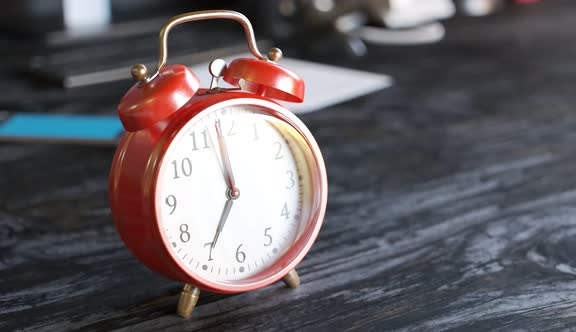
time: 6:58
